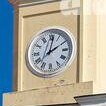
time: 2:01
